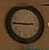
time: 2:45
